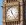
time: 11:24
